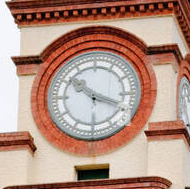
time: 10:18
